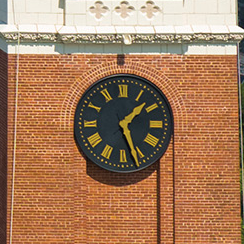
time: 1:26
